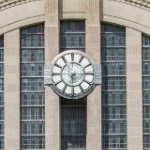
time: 6:14
